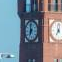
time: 6:58
